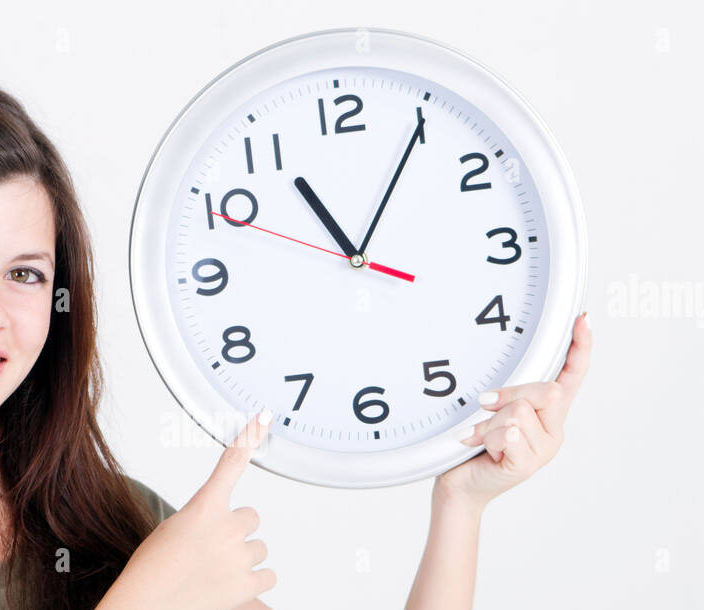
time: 11:05
